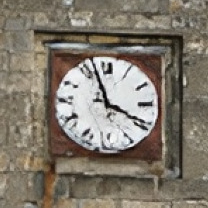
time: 3:57
